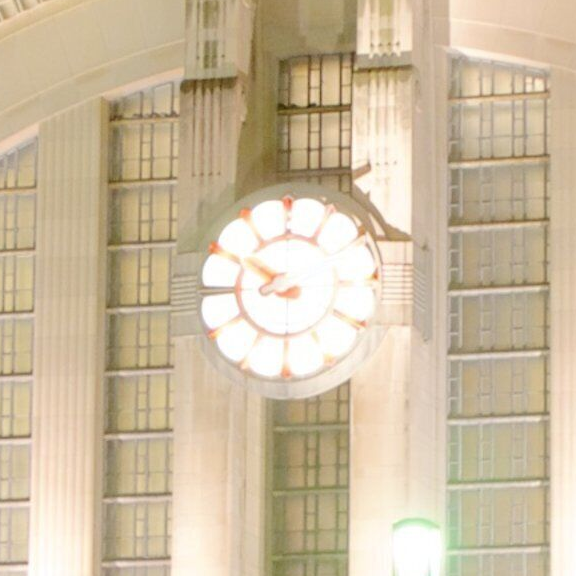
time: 8:50
